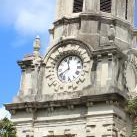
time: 11:40
